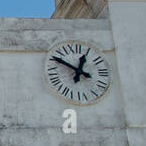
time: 12:49
